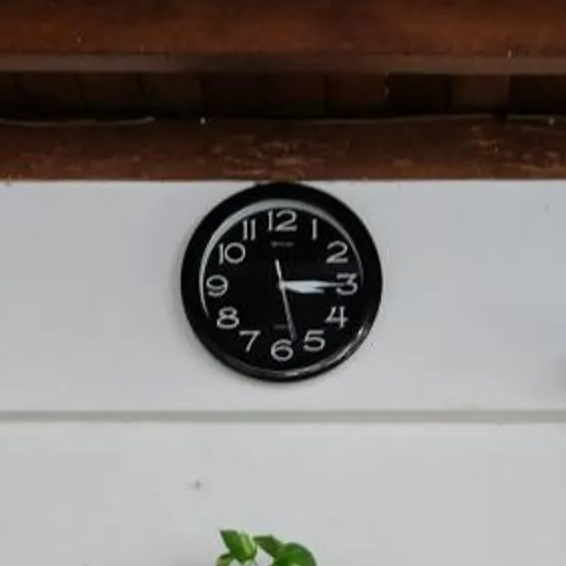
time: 3:14
